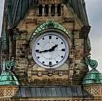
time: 1:43
